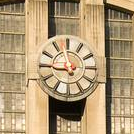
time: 8:57
